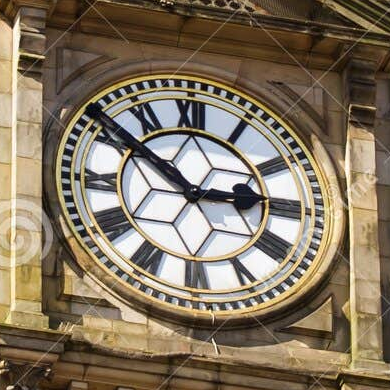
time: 2:51
